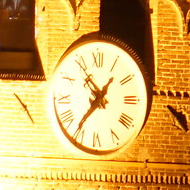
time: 10:36
